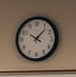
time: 10:07
